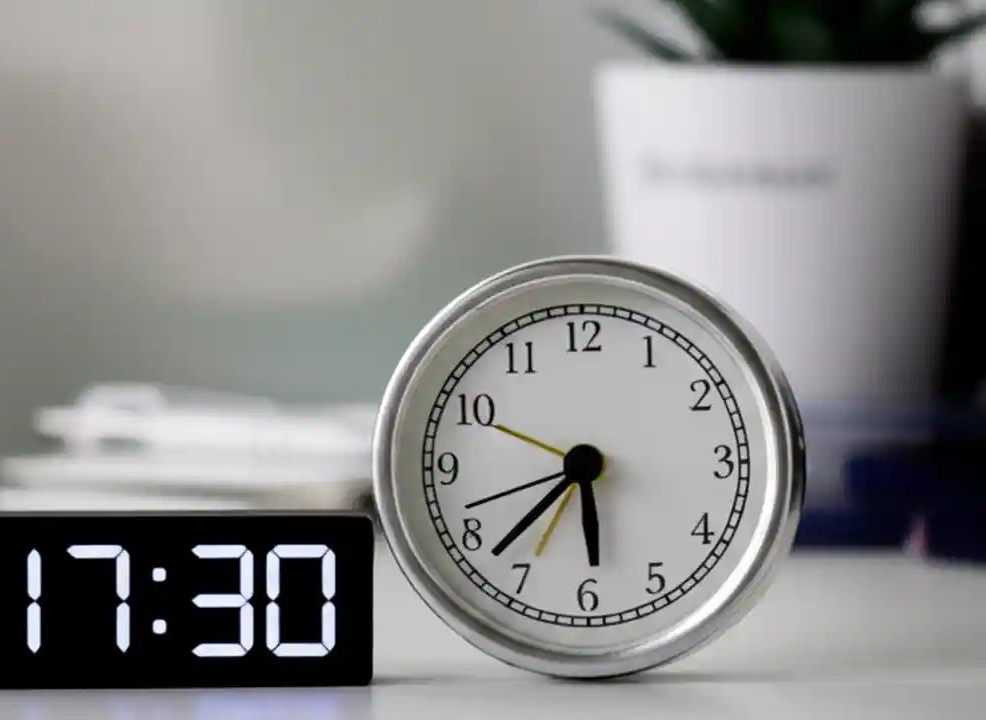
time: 5:37
